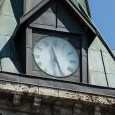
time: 11:25
